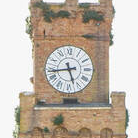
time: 5:43
